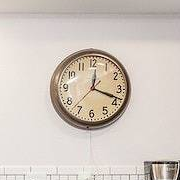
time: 12:18
